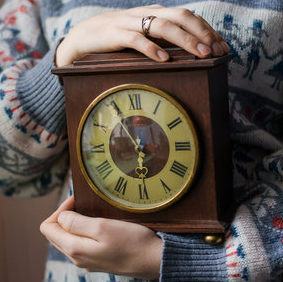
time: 5:55
